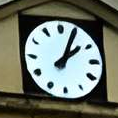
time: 2:04
